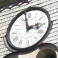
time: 2:58
